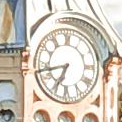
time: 6:42
